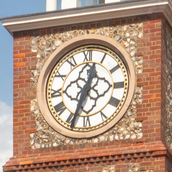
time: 12:33
